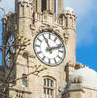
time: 11:11
